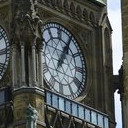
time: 1:05
